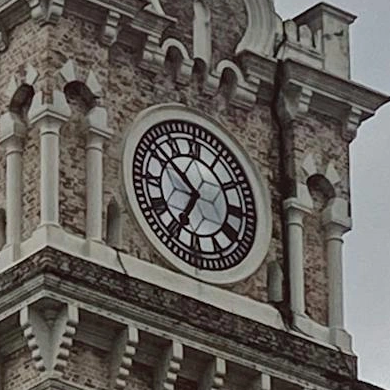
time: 6:52
